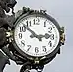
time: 2:52
